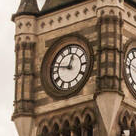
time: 12:47
